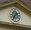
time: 1:36
